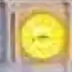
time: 8:16
